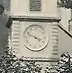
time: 3:48
